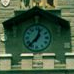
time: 12:37
